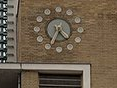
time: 4:34
